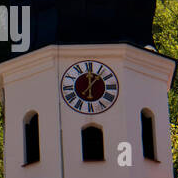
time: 12:07
